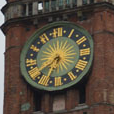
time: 7:32
